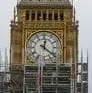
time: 12:21
